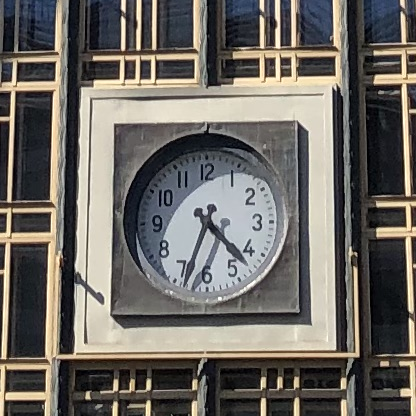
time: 4:33
